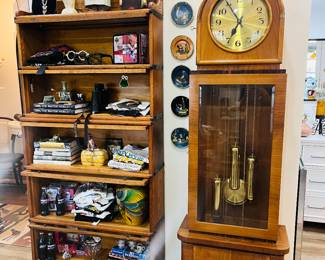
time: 6:00
